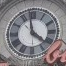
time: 3:58
